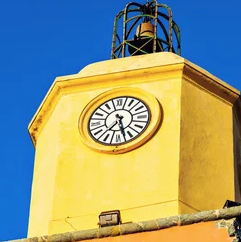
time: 7:27
